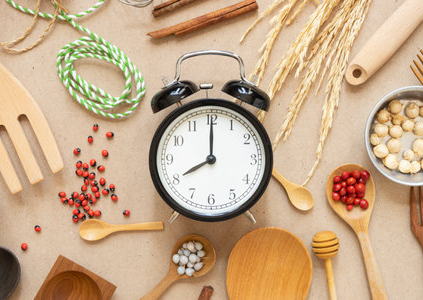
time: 8:00
